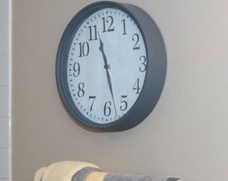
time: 11:27
